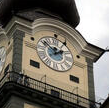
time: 1:52
